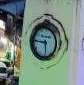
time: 5:45
